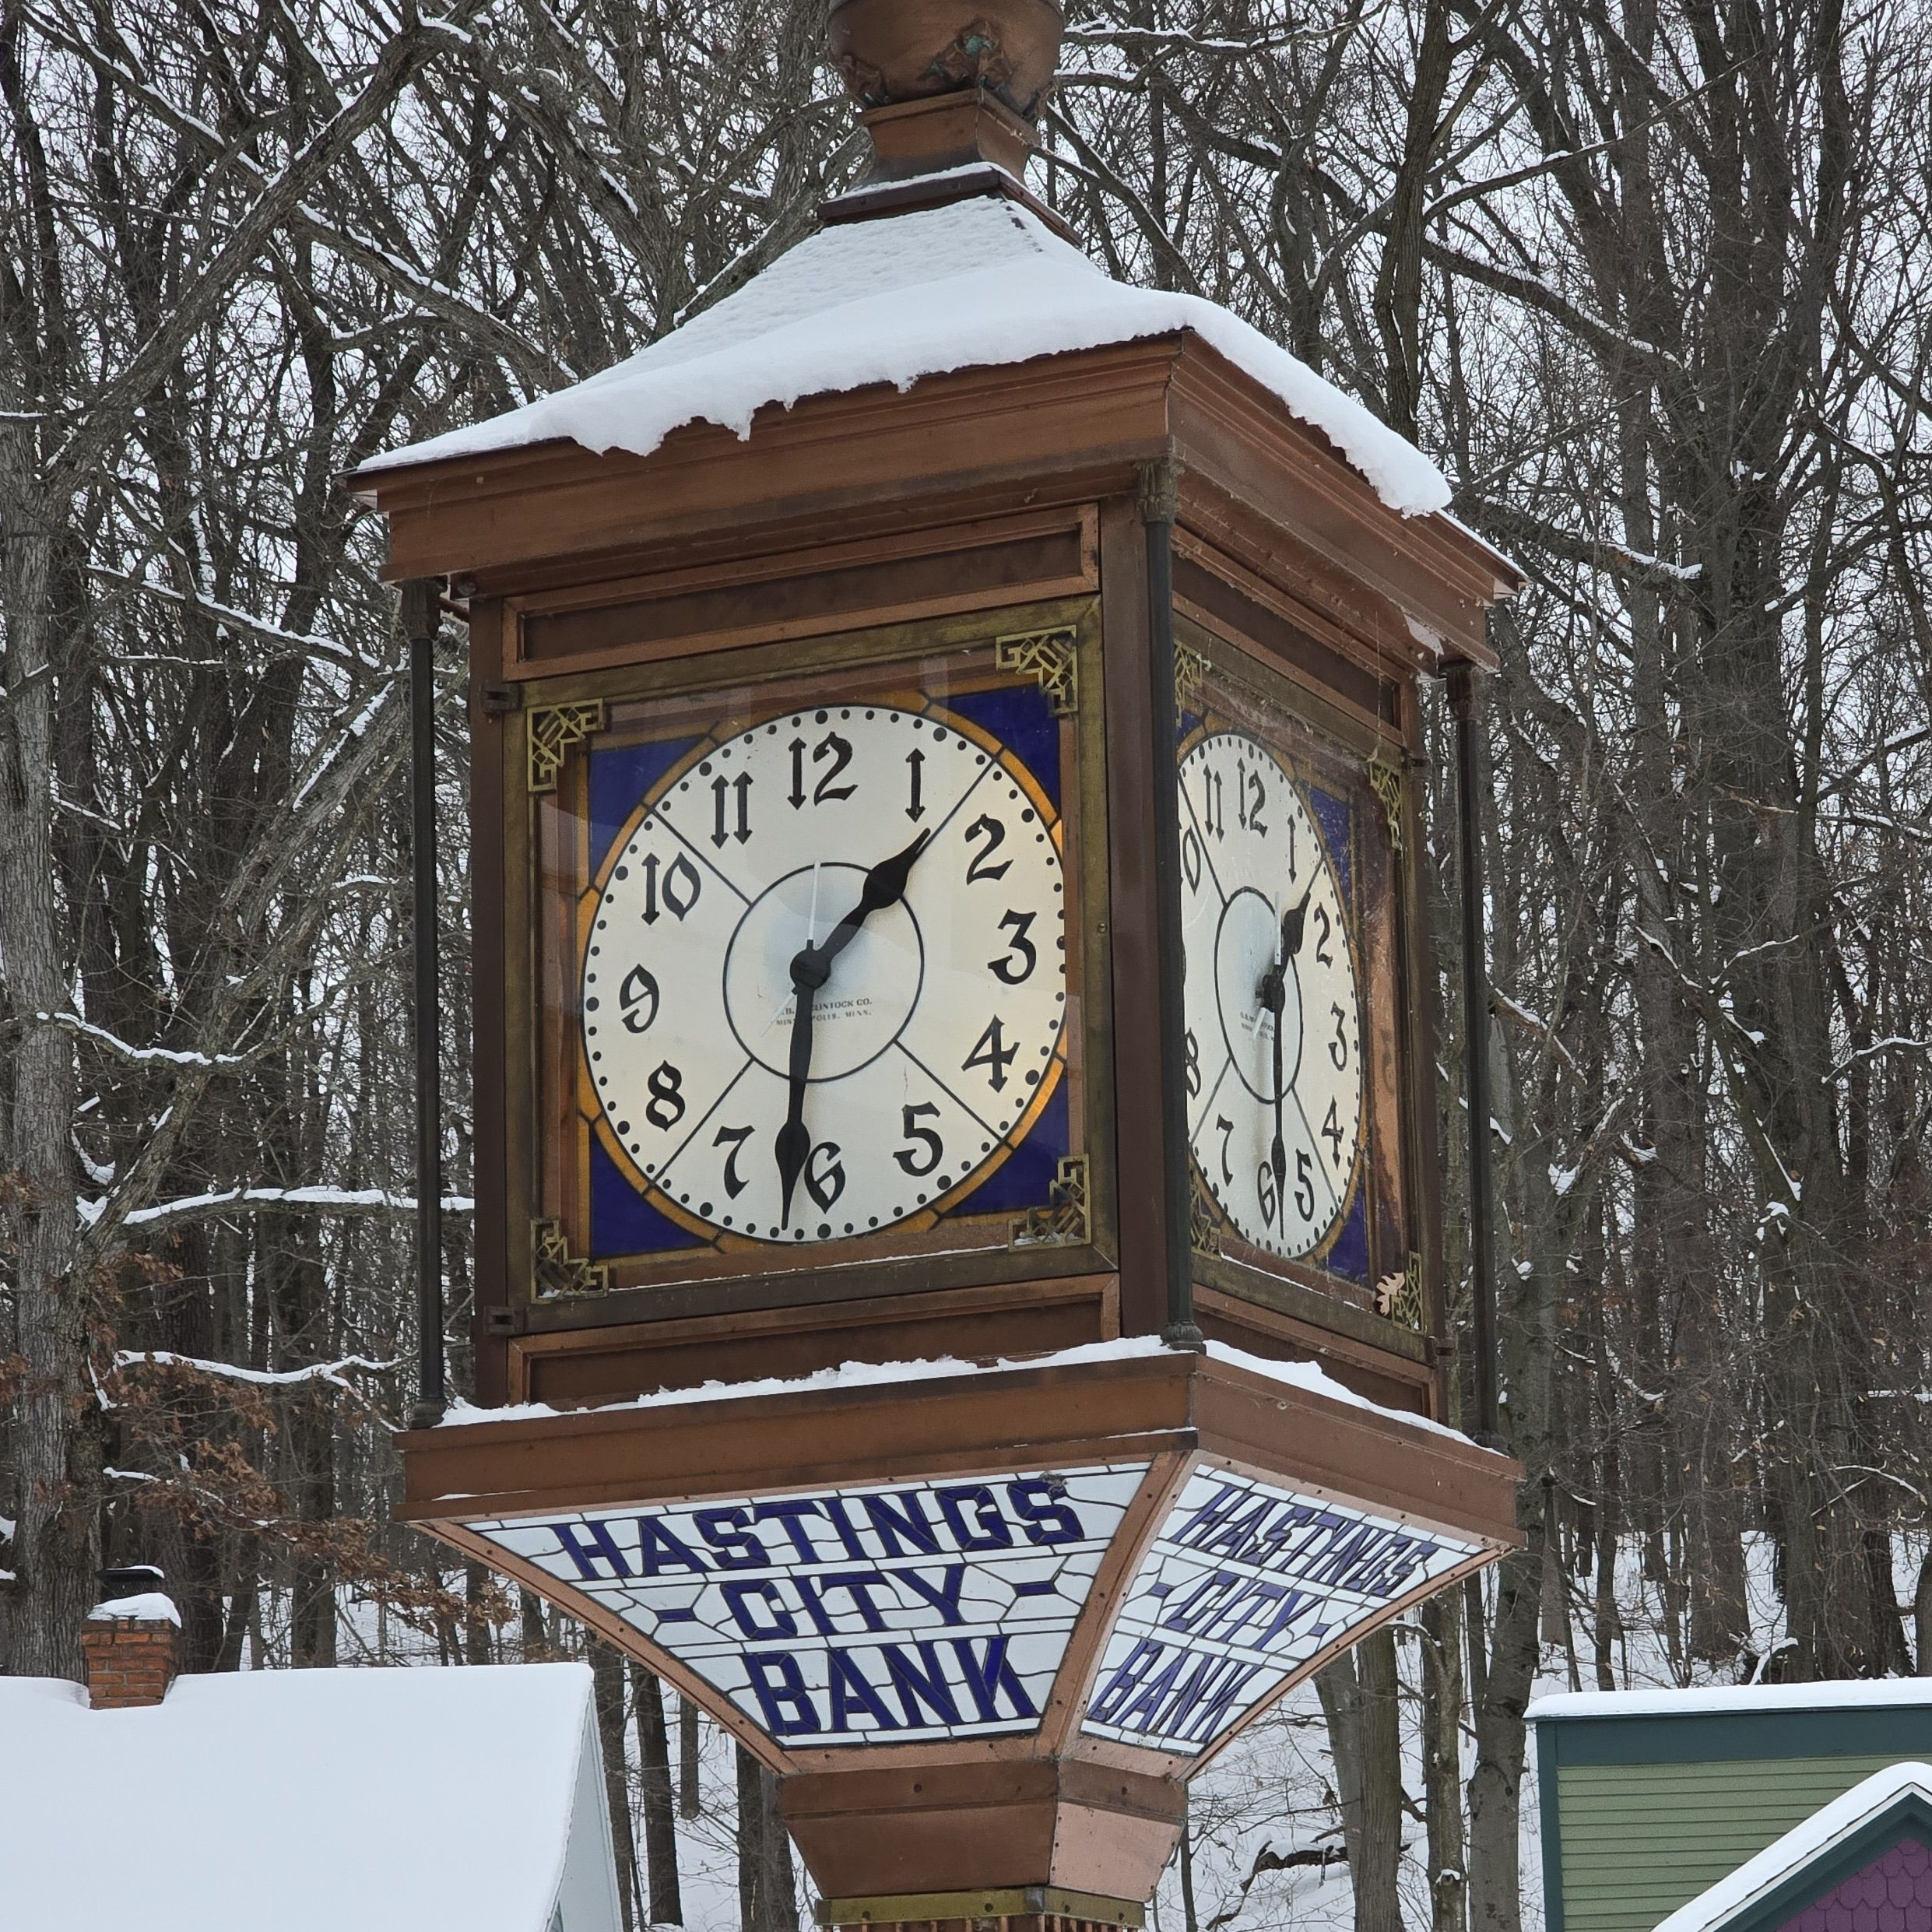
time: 1:32
